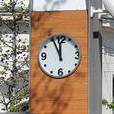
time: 11:55
